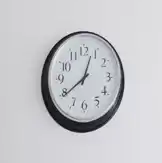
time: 12:39
